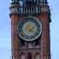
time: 1:18
